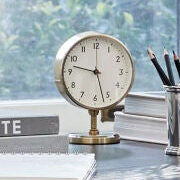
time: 9:27
